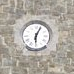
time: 6:03
